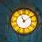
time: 11:09
